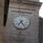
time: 7:24
